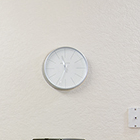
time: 11:33
